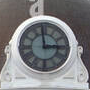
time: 2:58
